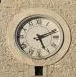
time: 5:11
